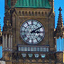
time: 3:09
